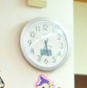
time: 5:33
